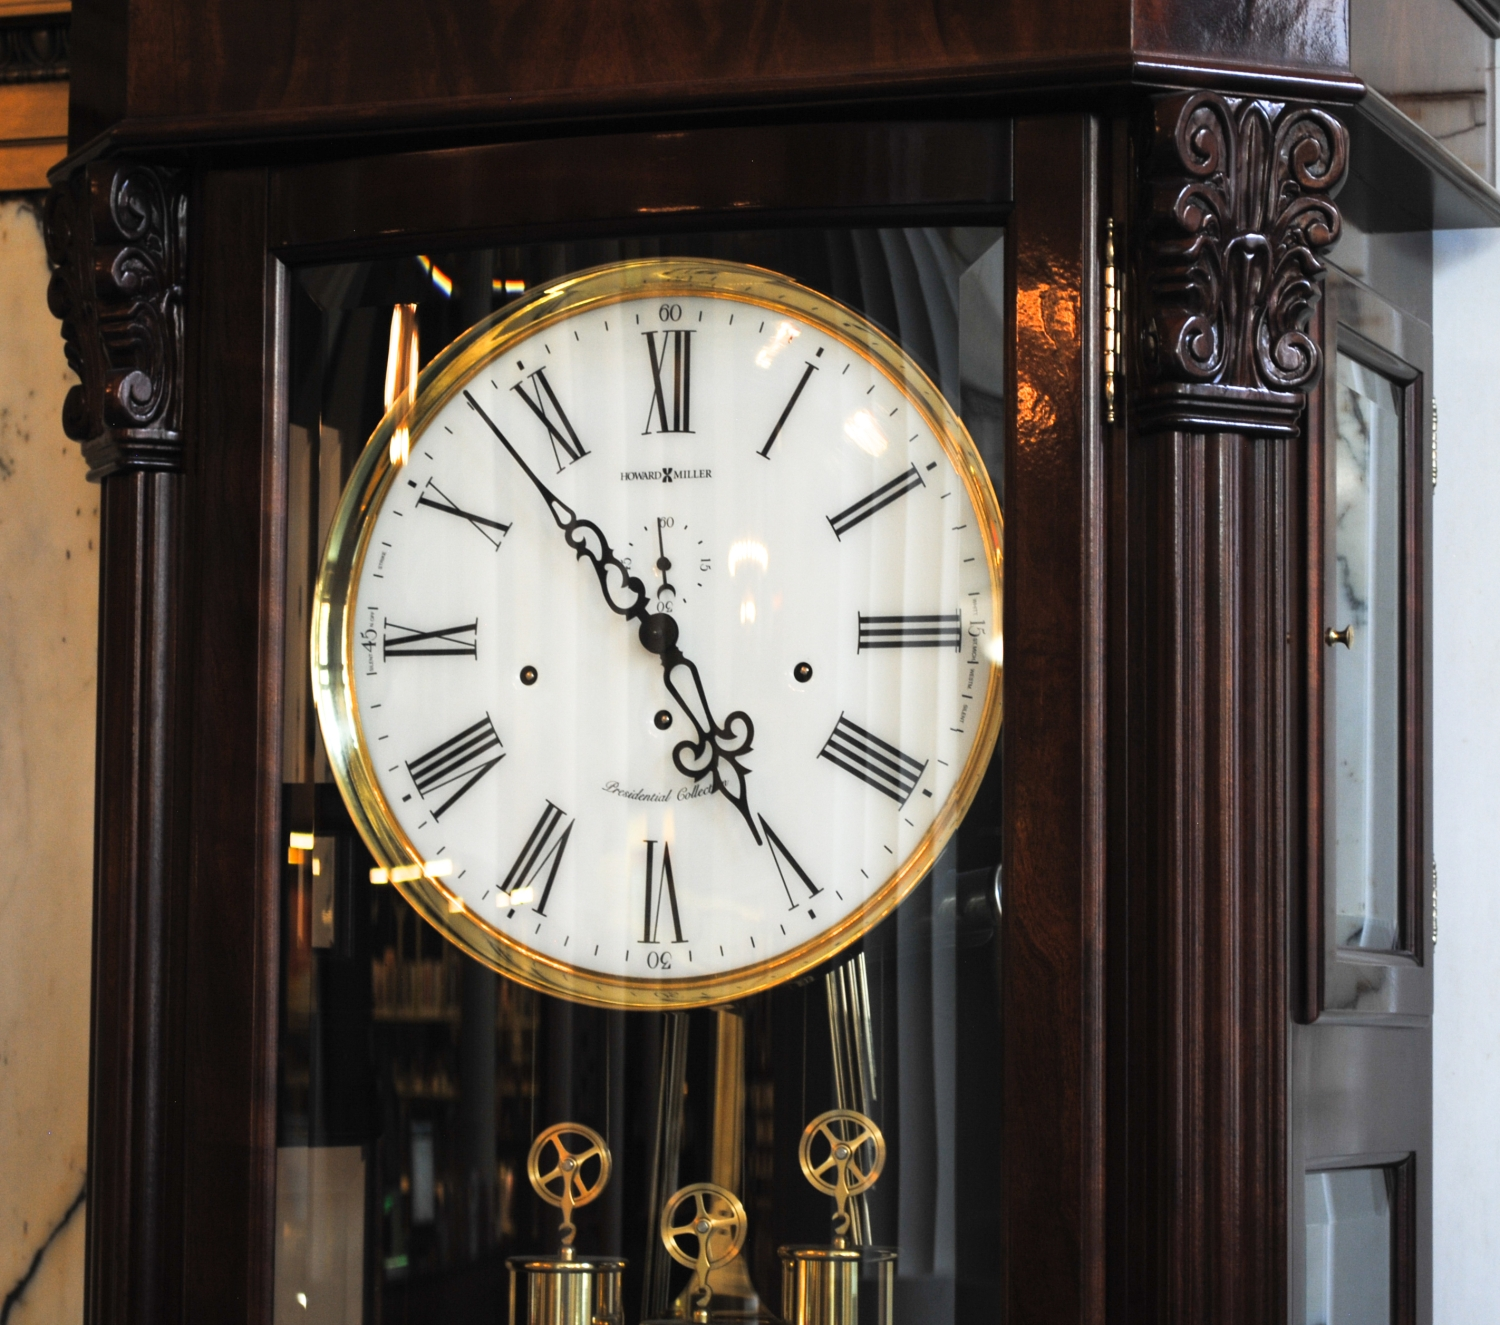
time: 4:52
